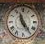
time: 11:24
